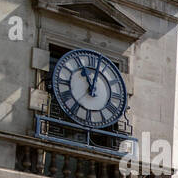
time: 11:03
